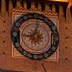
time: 9:01
